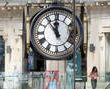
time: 11:54
